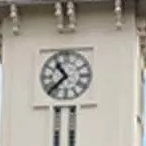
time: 10:37
